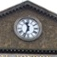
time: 11:33
